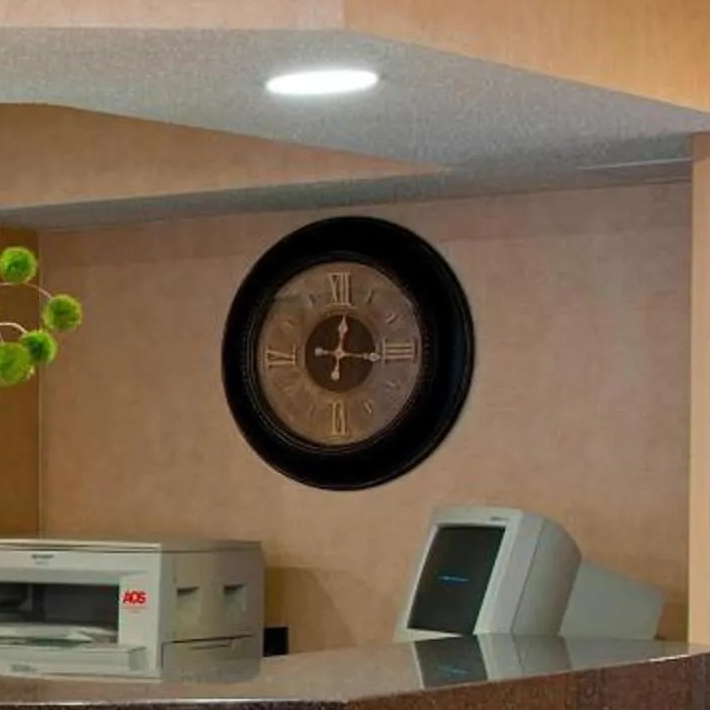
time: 12:16
